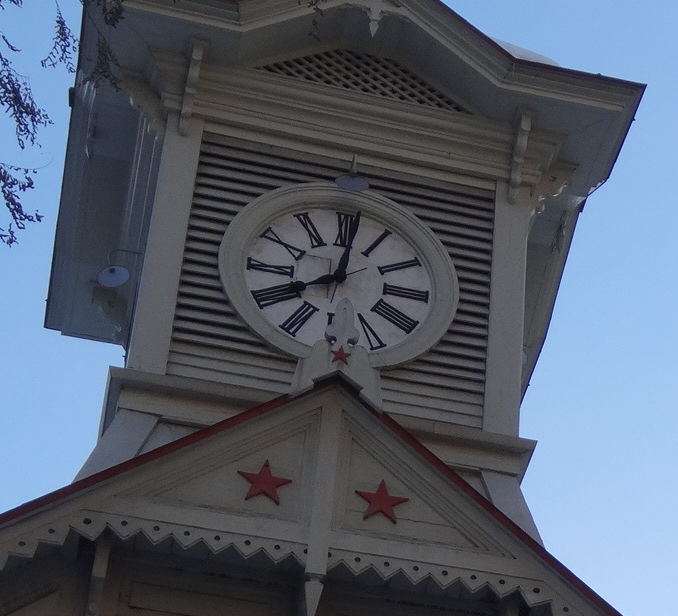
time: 8:01
